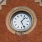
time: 1:26
